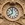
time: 11:38
